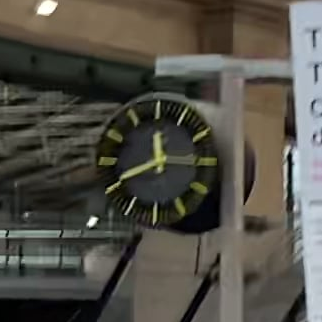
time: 11:41
